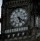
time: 5:21
